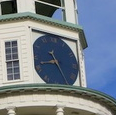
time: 10:42
